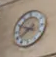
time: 7:49
